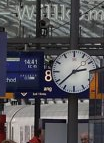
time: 2:38
